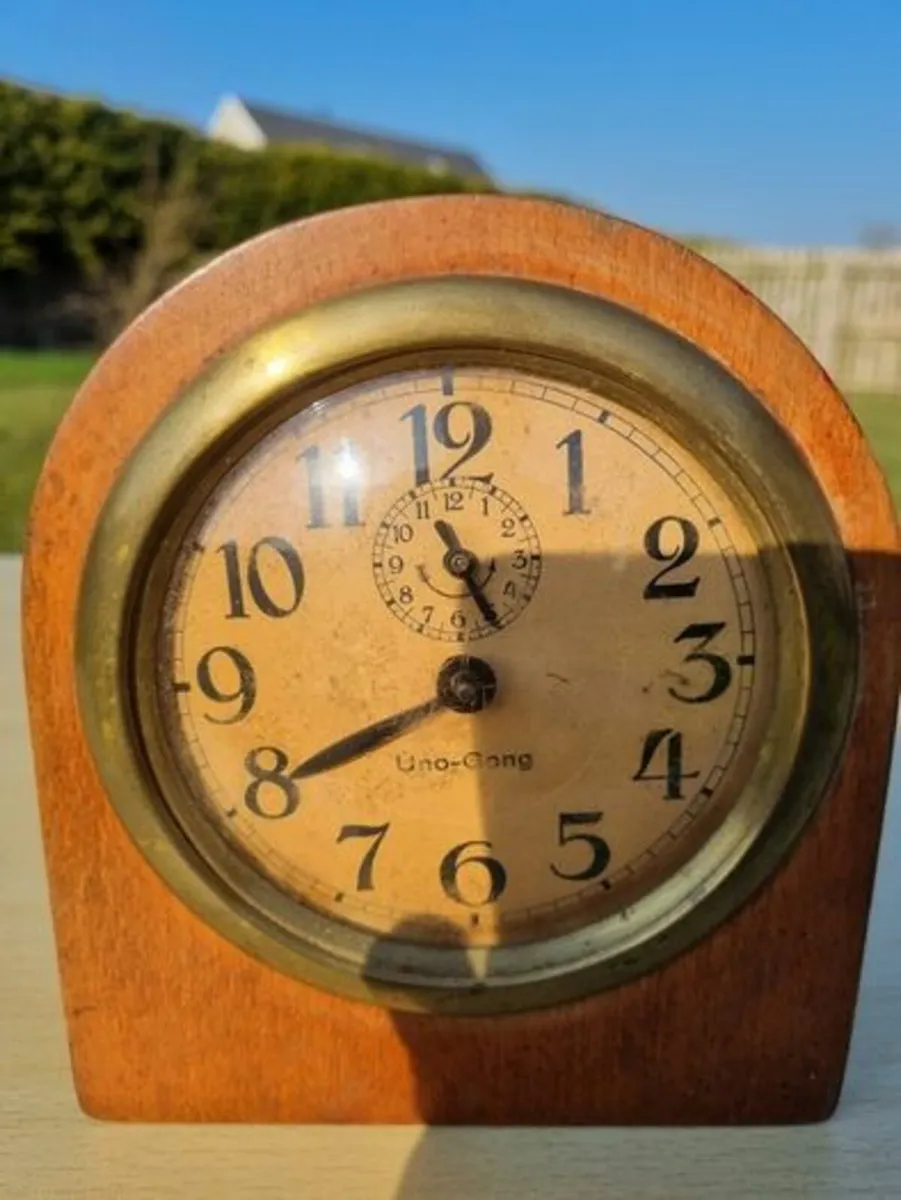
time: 11:40
